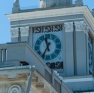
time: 11:35
